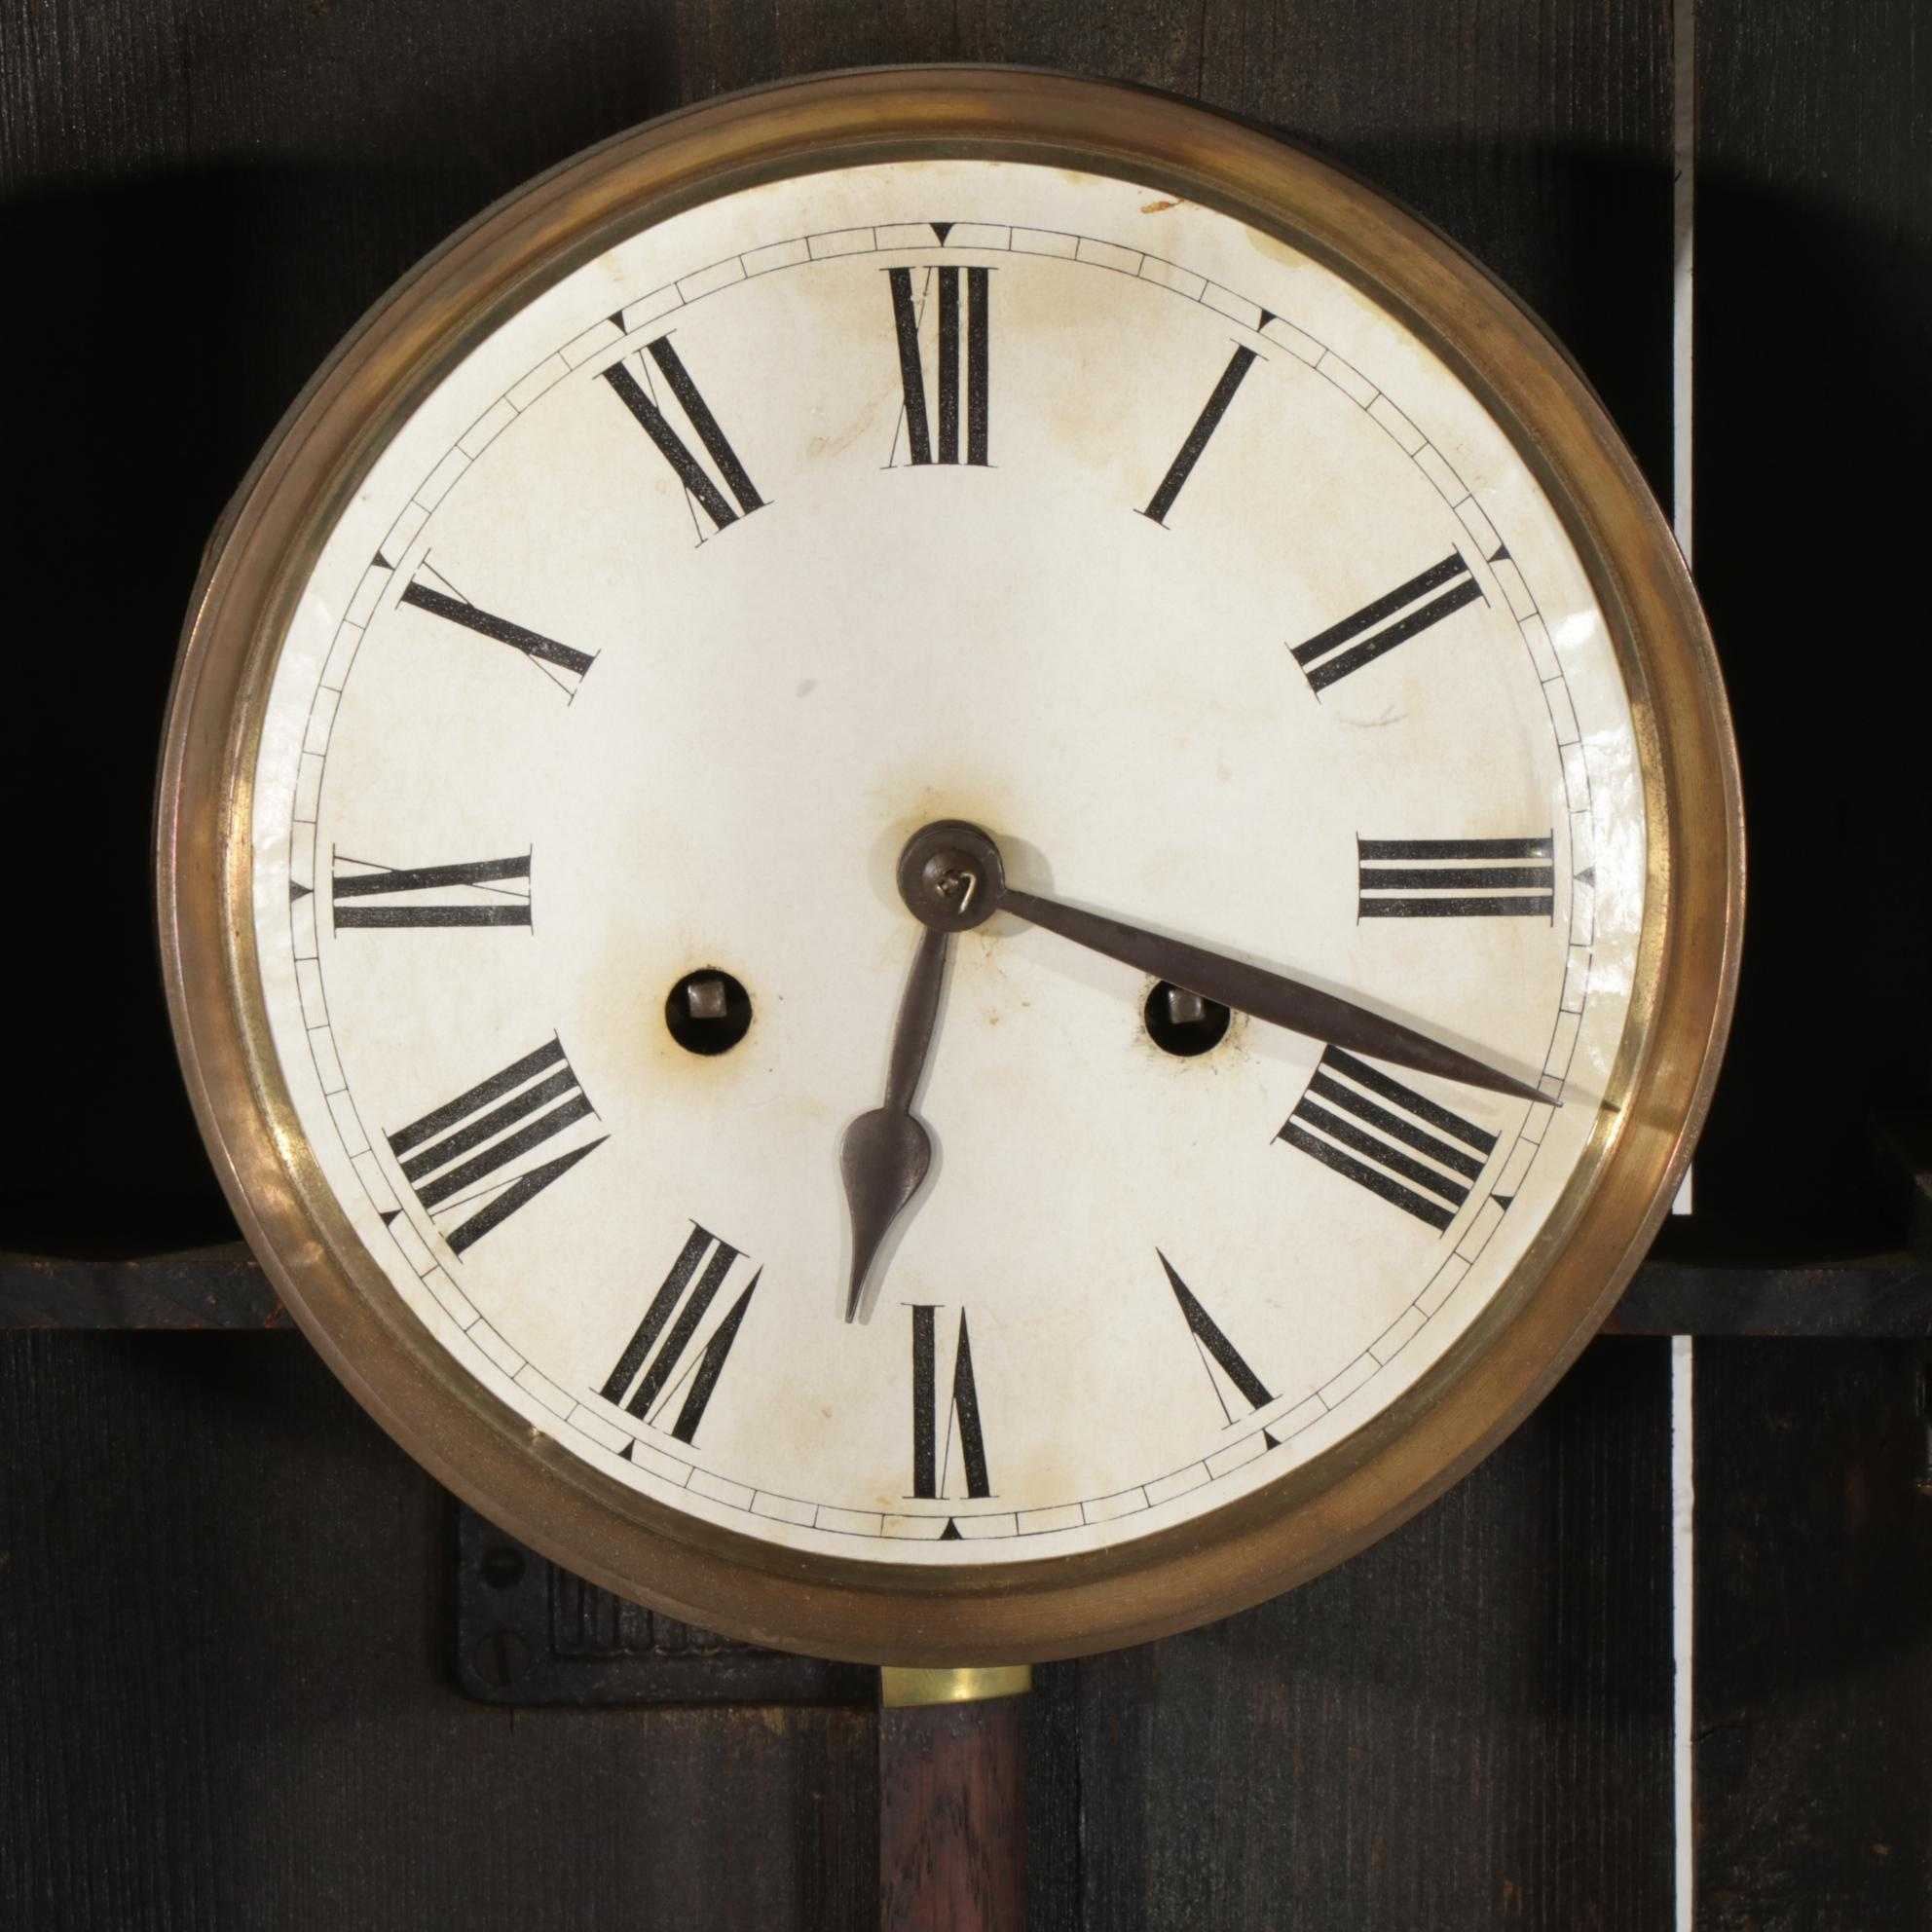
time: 6:18
